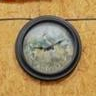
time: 9:10
